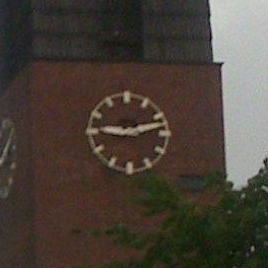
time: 9:12
